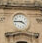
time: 3:45
